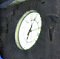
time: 7:04
